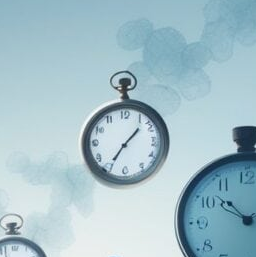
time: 1:35
